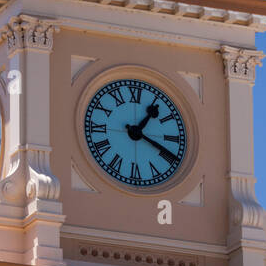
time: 1:18
